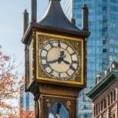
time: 12:41
